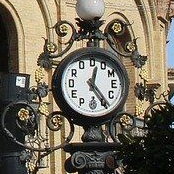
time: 12:23
